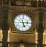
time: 5:14
